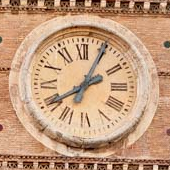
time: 2:04
